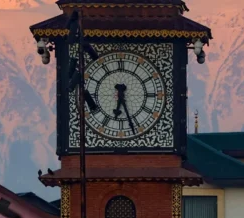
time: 6:26
